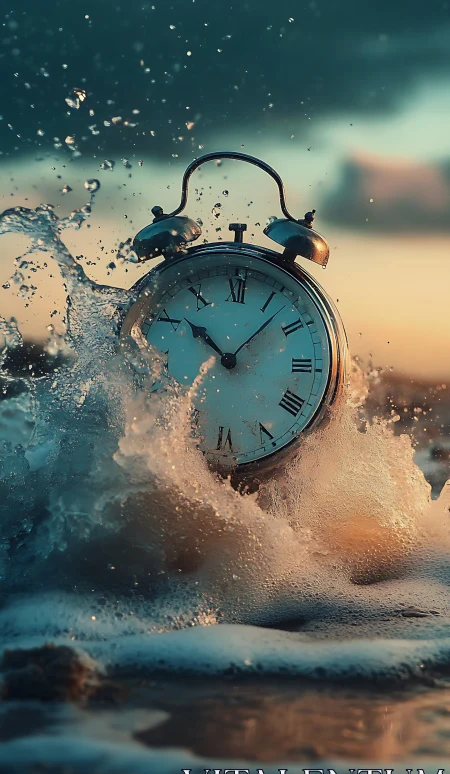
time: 10:07
